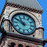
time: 10:50
